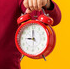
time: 8:59
